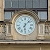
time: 6:07
